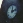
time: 12:12
